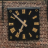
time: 6:52
